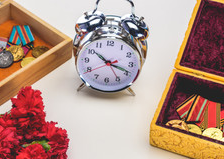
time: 10:18
